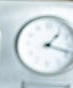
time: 1:18
